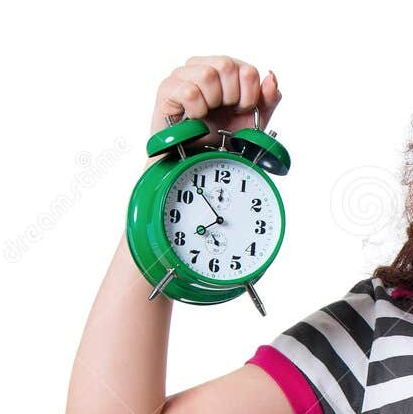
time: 7:53
